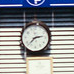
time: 2:37
